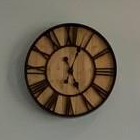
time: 5:03
